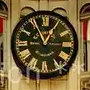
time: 12:55
